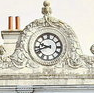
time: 9:42
